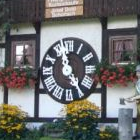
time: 11:24
